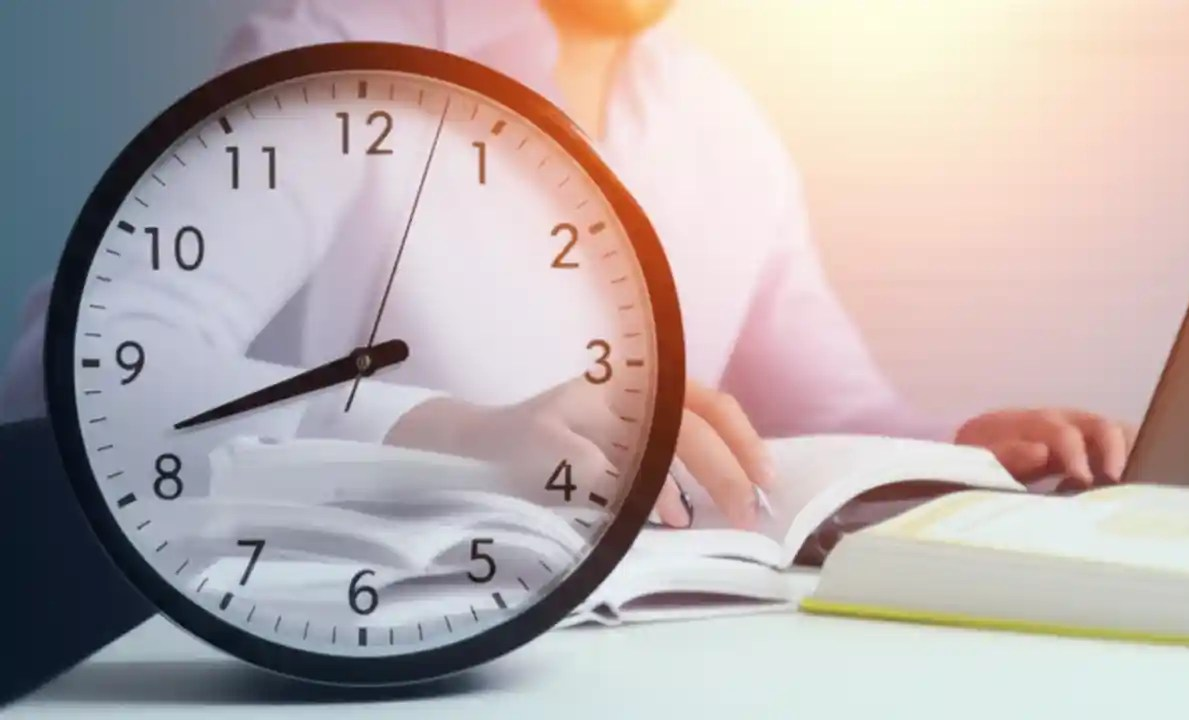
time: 8:41
